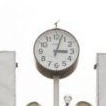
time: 3:03
